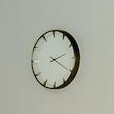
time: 2:20
